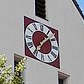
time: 1:35
